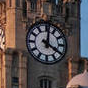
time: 4:01
